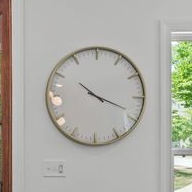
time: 10:18
